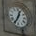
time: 12:34
